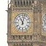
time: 11:02
